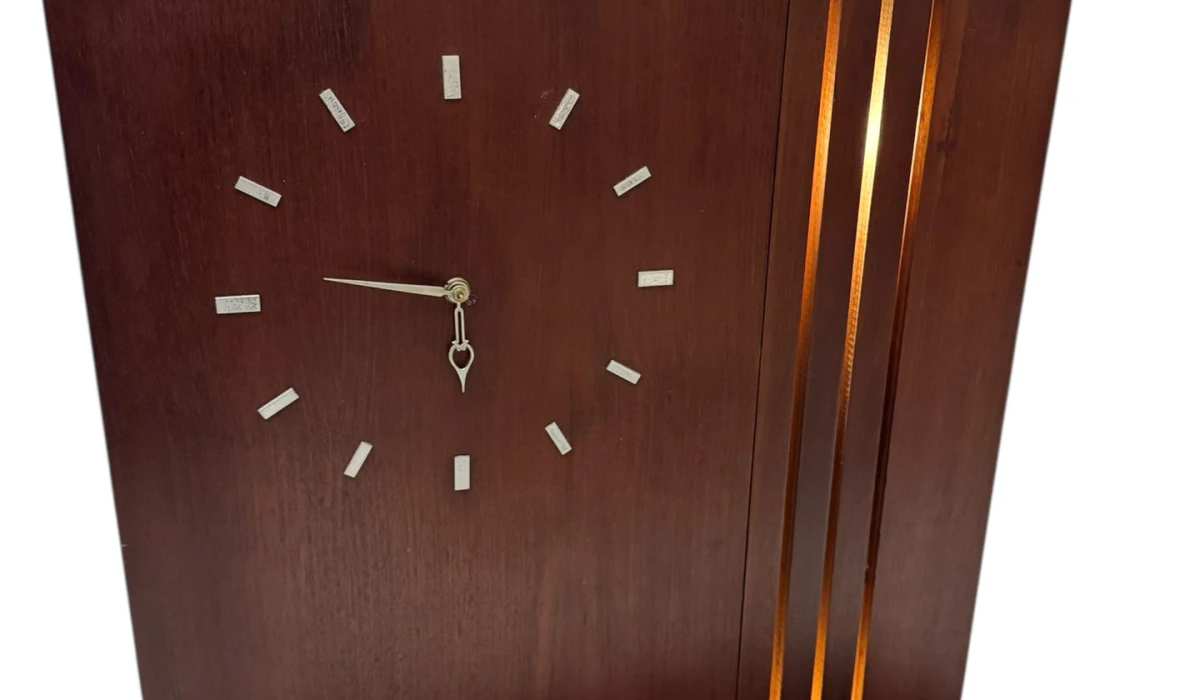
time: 5:46
